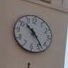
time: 10:23
